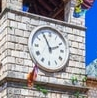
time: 1:55
